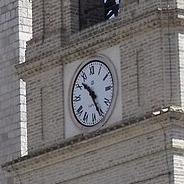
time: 10:25
